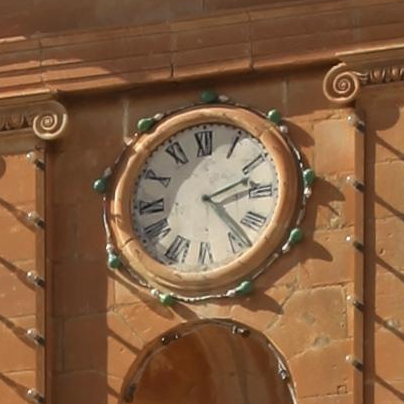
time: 2:23
